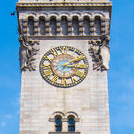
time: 2:15
